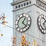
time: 1:22
